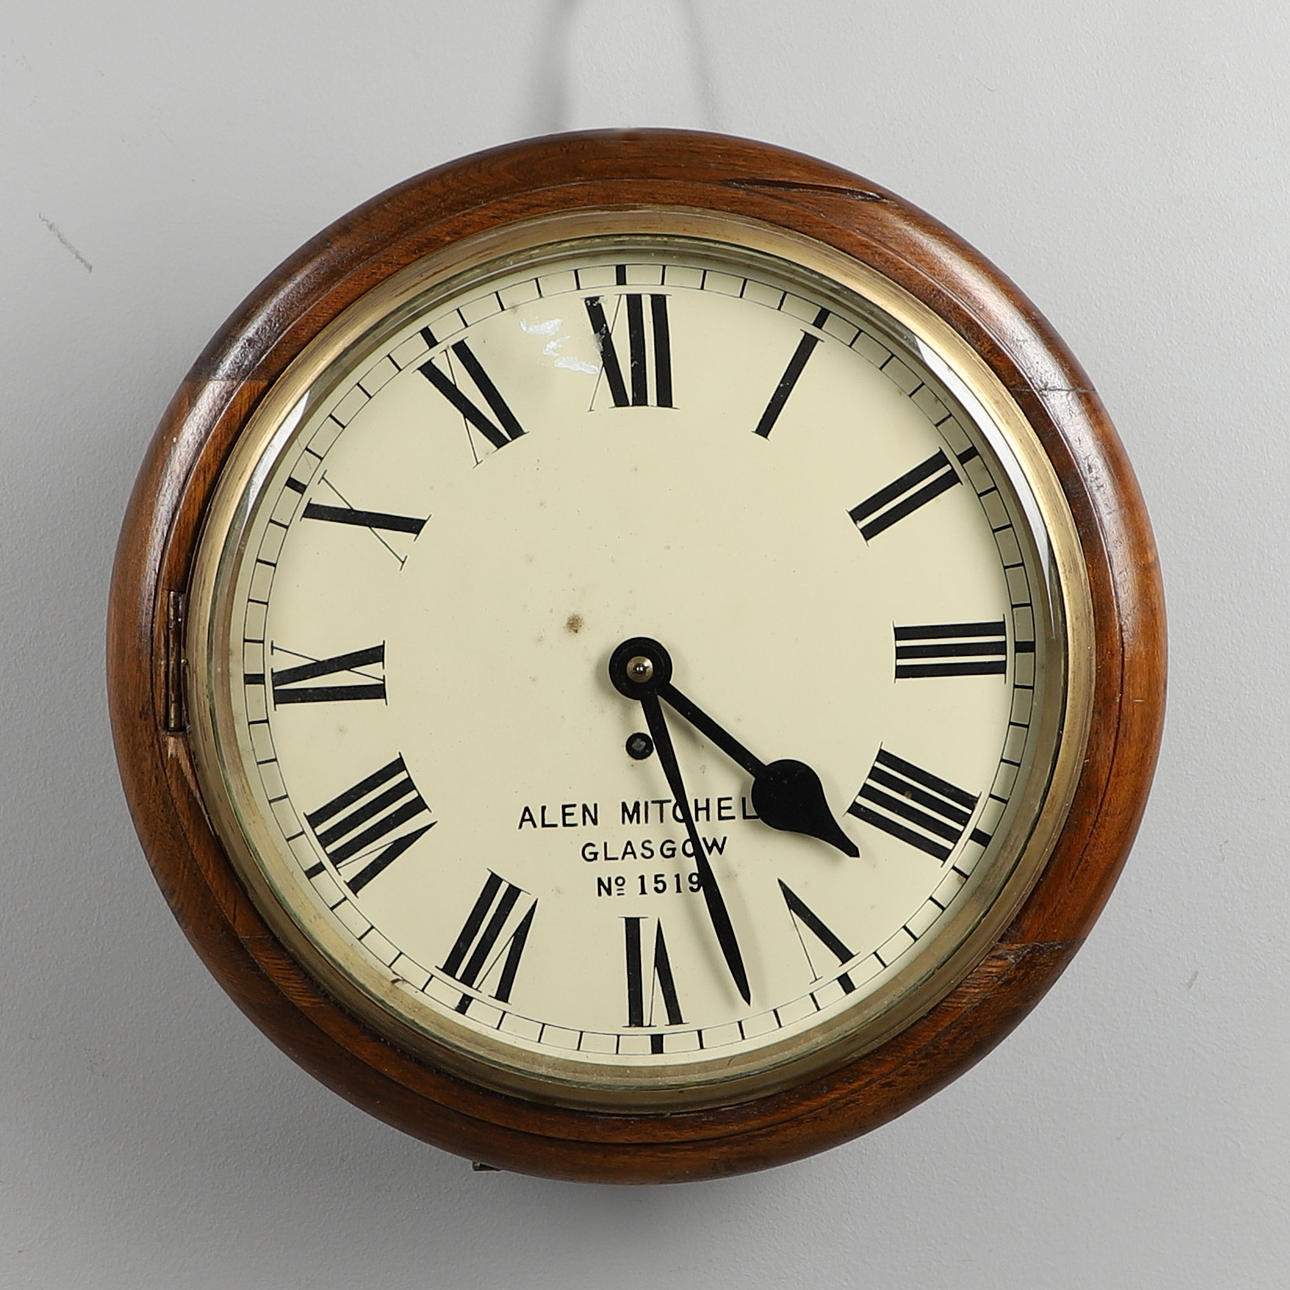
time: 4:27
